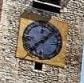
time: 1:37
